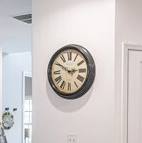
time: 2:50
